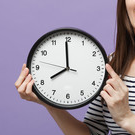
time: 7:59
